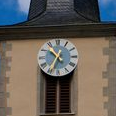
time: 10:34
